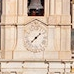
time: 1:37
